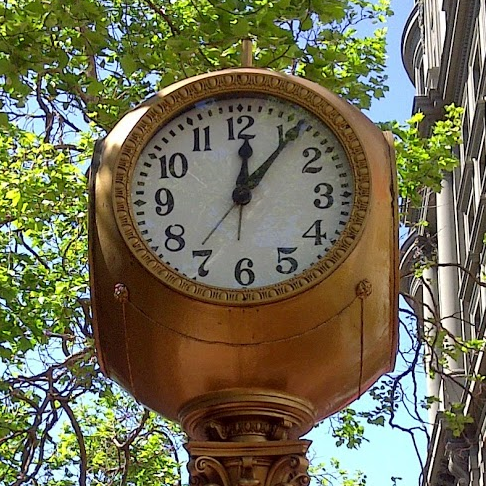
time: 12:06
